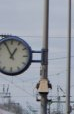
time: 12:55
